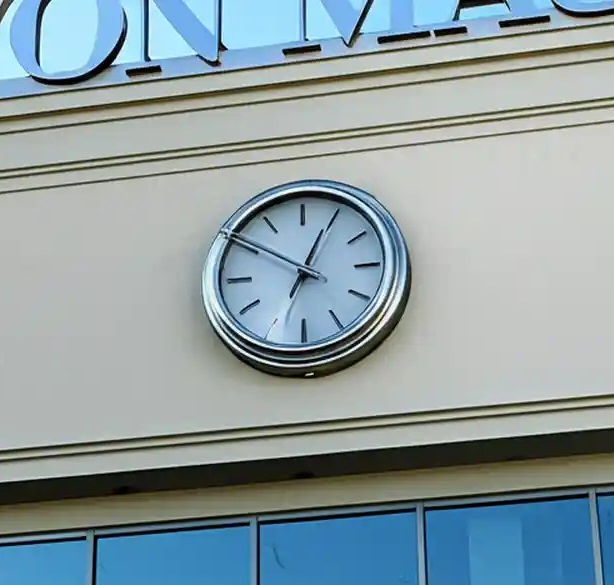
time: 12:50
